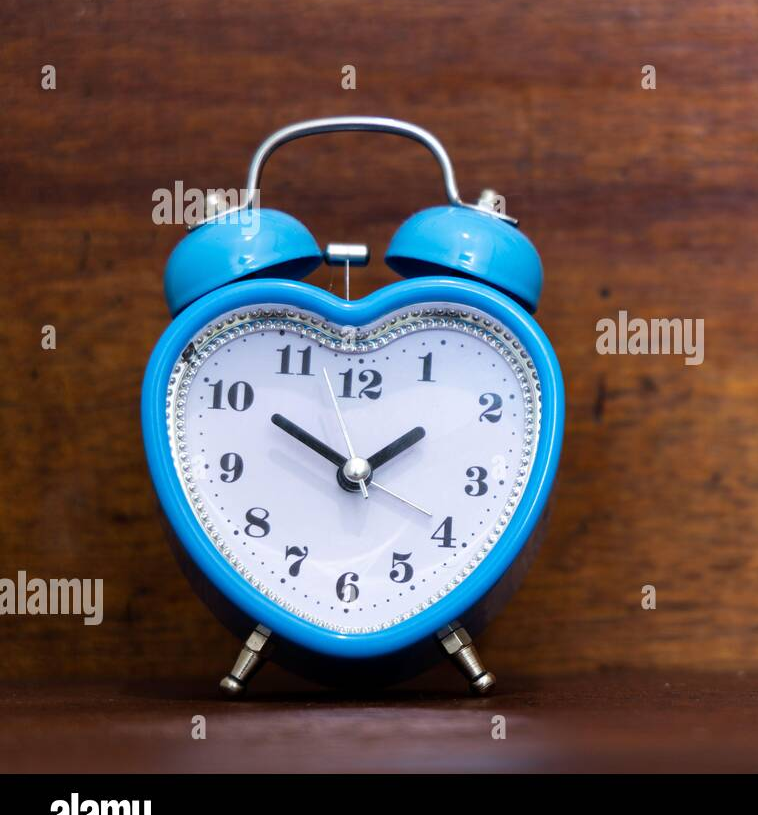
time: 1:50
